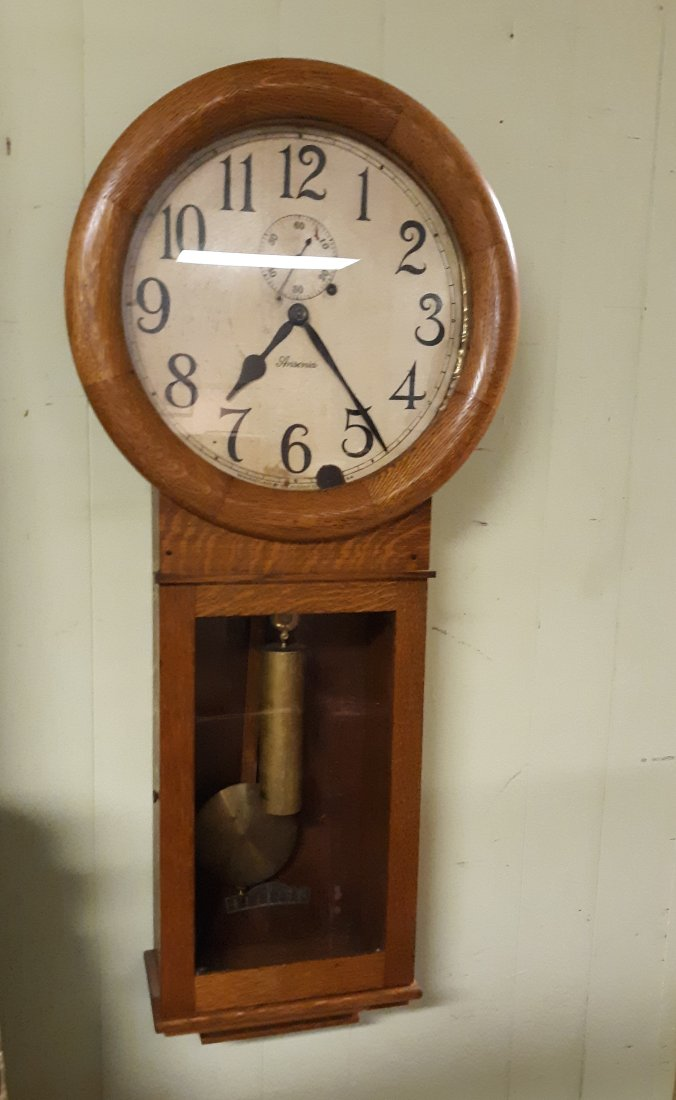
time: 7:23
